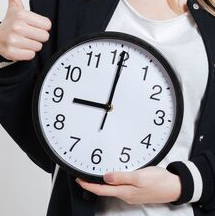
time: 9:00
